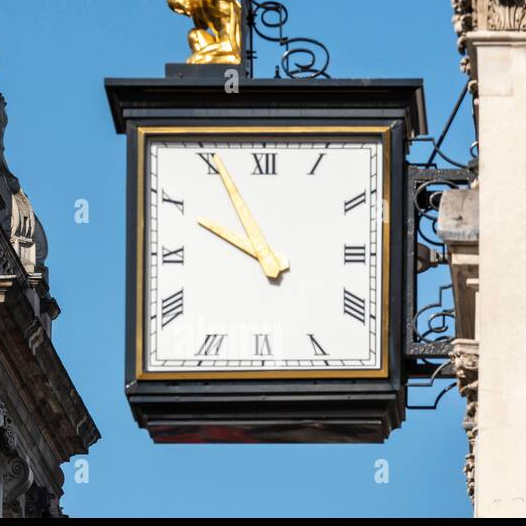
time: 9:55
